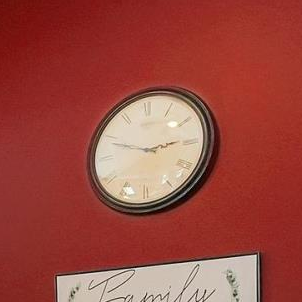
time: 2:48
